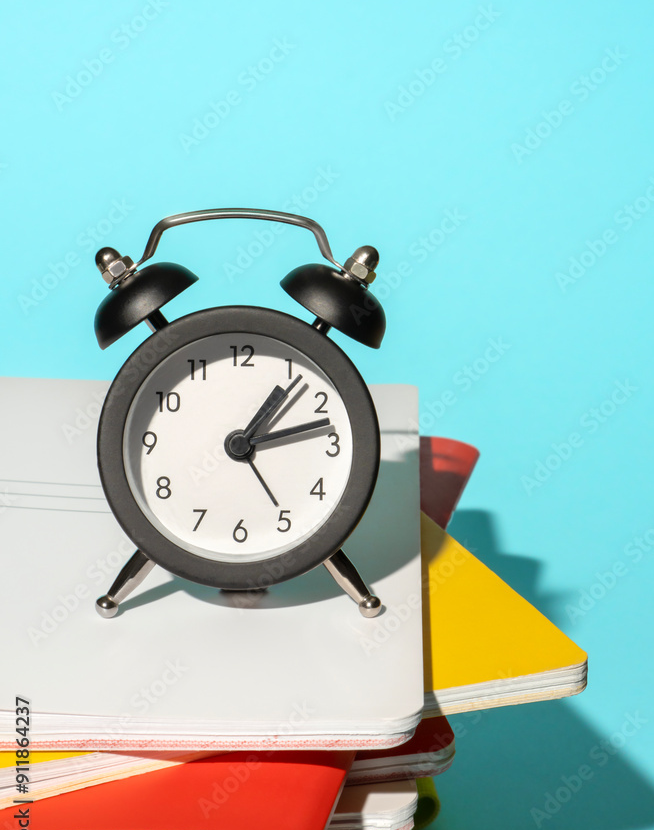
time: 1:13
